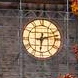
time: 6:12
